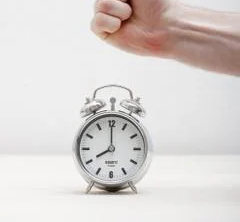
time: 8:00
